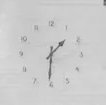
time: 1:30
